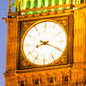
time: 8:19
